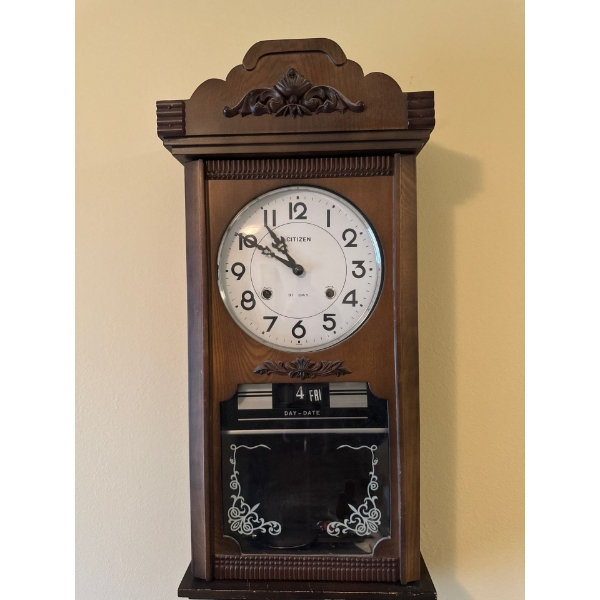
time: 10:50
